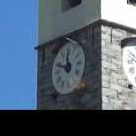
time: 11:49
